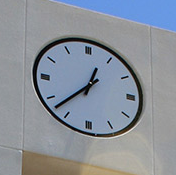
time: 12:37
